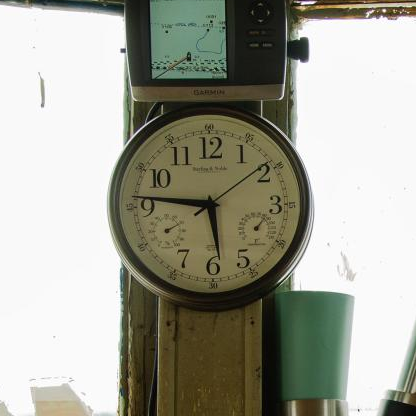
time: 5:46
